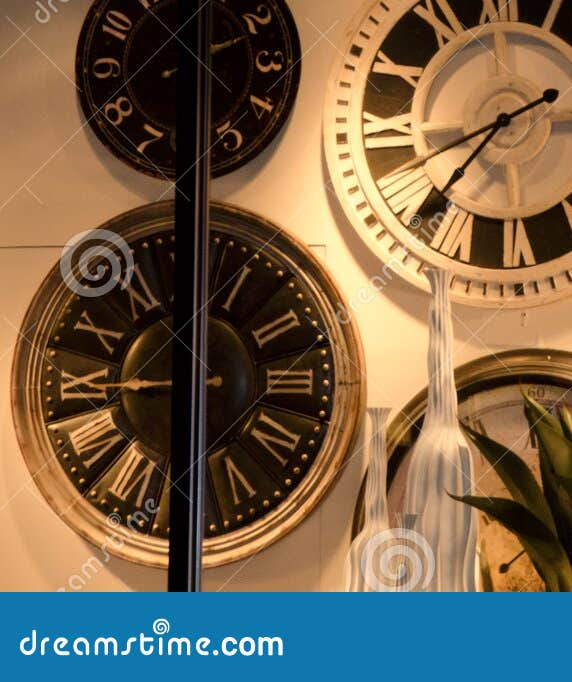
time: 6:00
